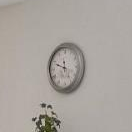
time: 11:48
